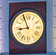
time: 8:56
